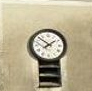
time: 1:51
